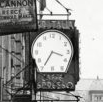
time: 3:35
